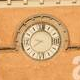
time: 9:39
